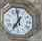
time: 6:58
